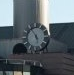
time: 5:54
